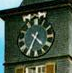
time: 4:35
